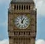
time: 12:58
